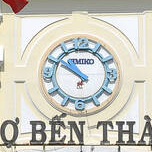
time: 10:50
